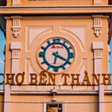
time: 6:19
